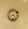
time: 8:23
